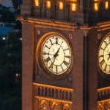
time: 7:34
